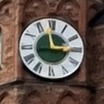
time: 2:58
